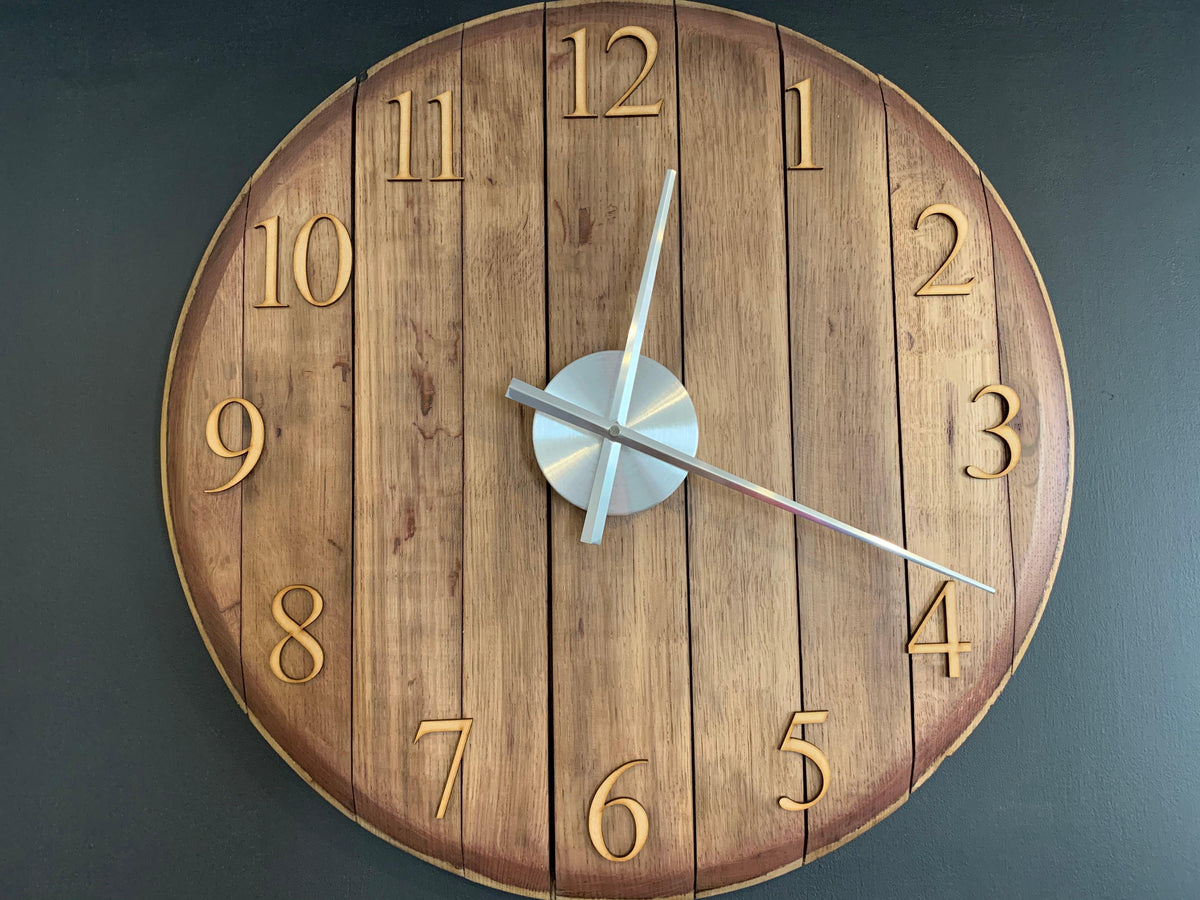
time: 12:18
